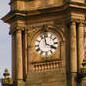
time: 3:58
